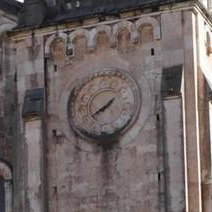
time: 1:39
